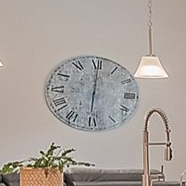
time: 6:00
